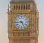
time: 4:44
